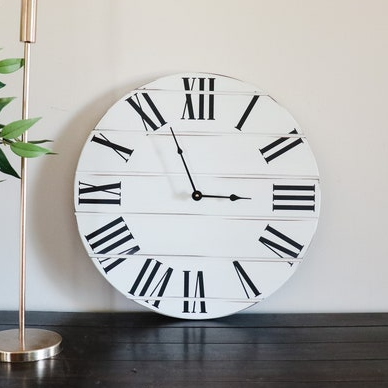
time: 2:56
